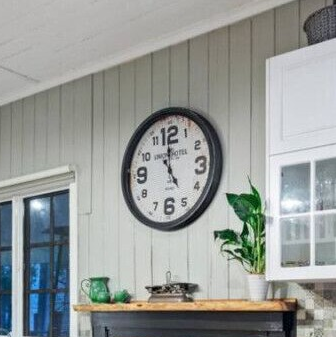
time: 4:59
